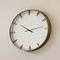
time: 10:13
